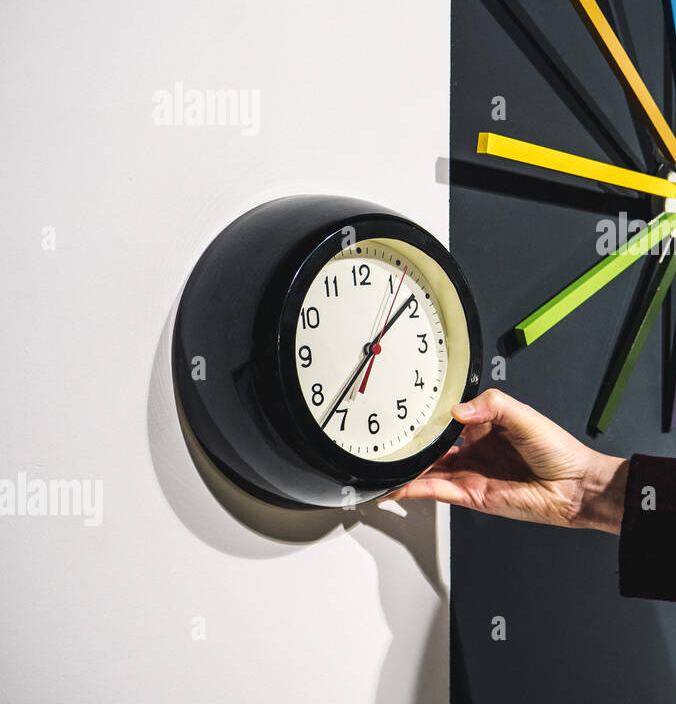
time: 1:36
